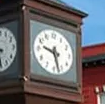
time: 9:27
